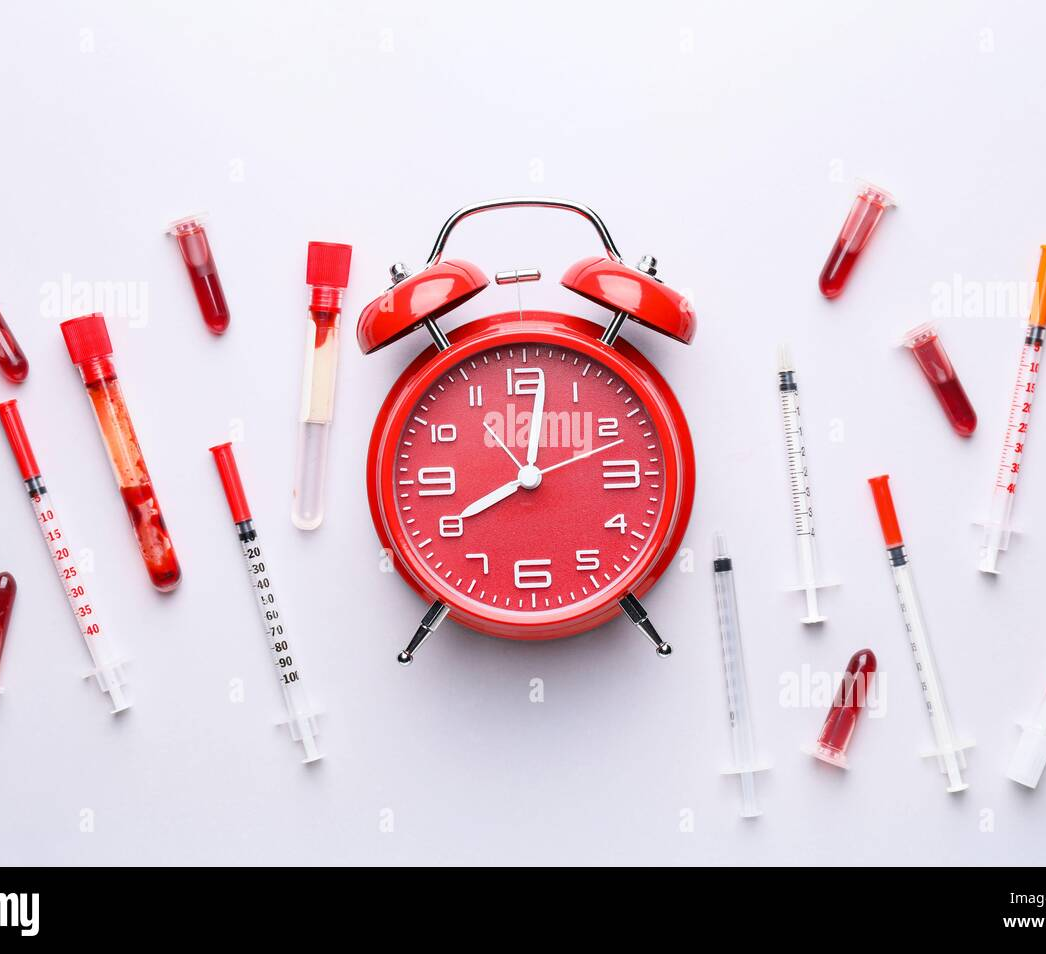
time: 8:01
